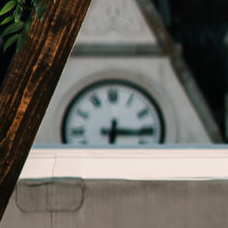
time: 6:15
